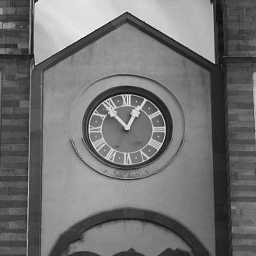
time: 12:53
